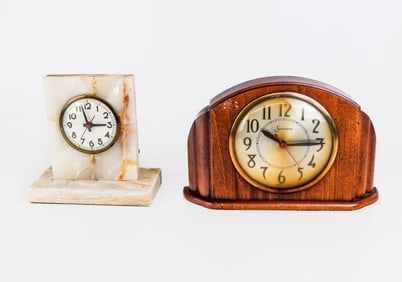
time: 10:14
